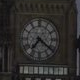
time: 7:21
